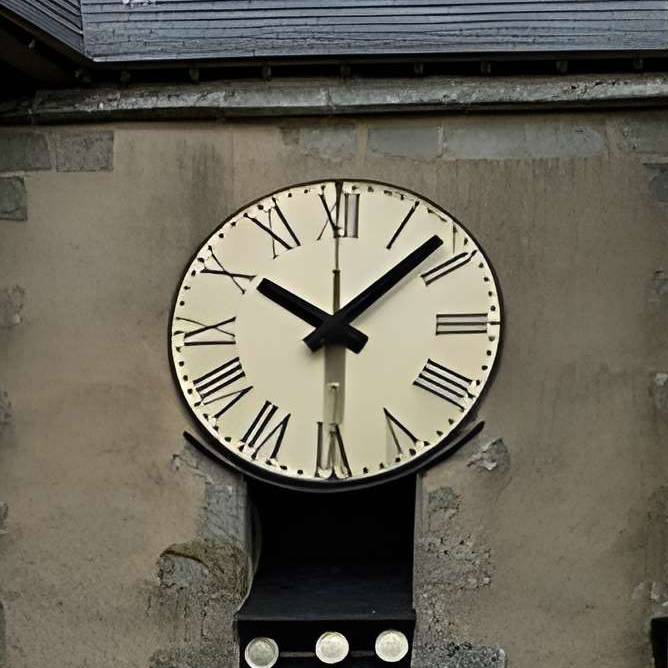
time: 10:07
